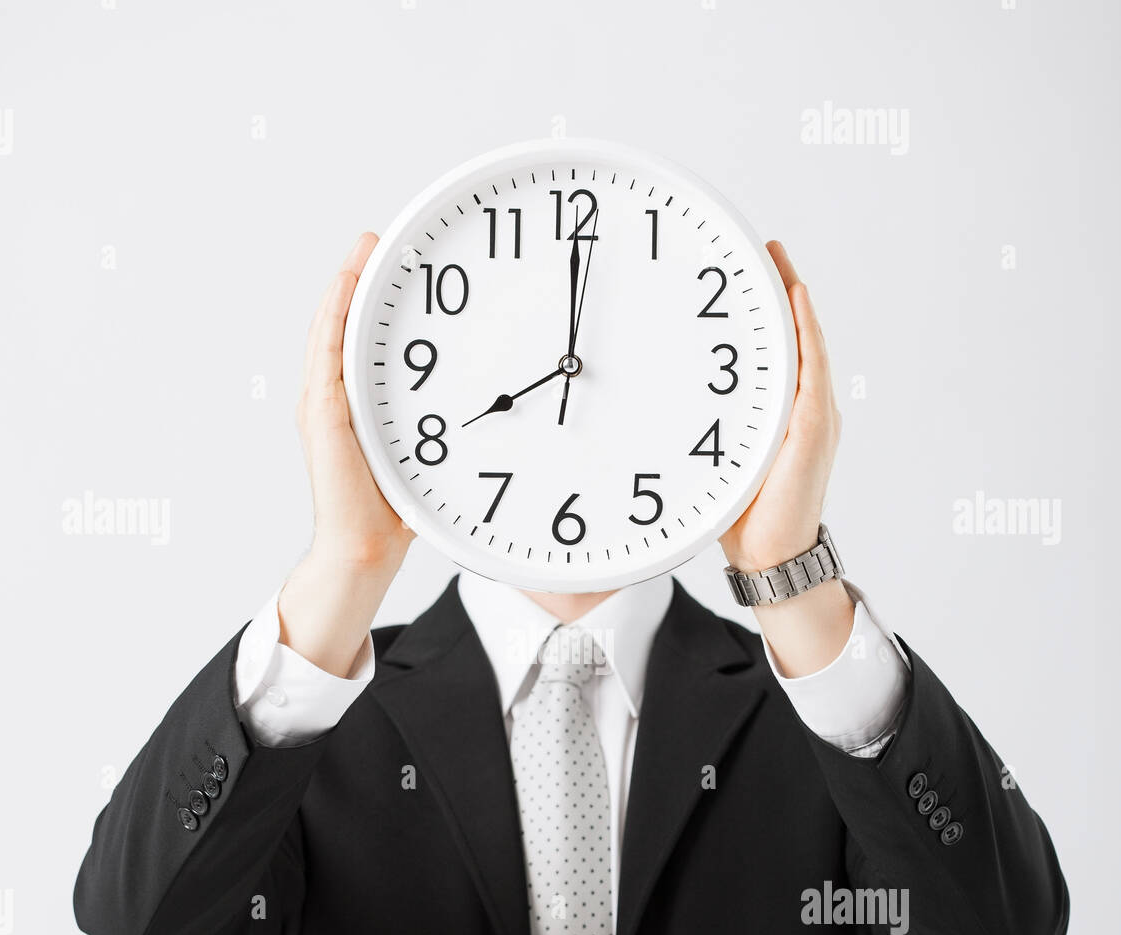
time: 8:00
